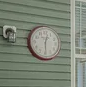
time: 12:29
